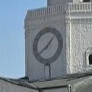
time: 1:39
